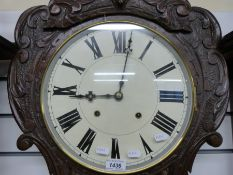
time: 9:01
